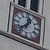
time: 12:37
